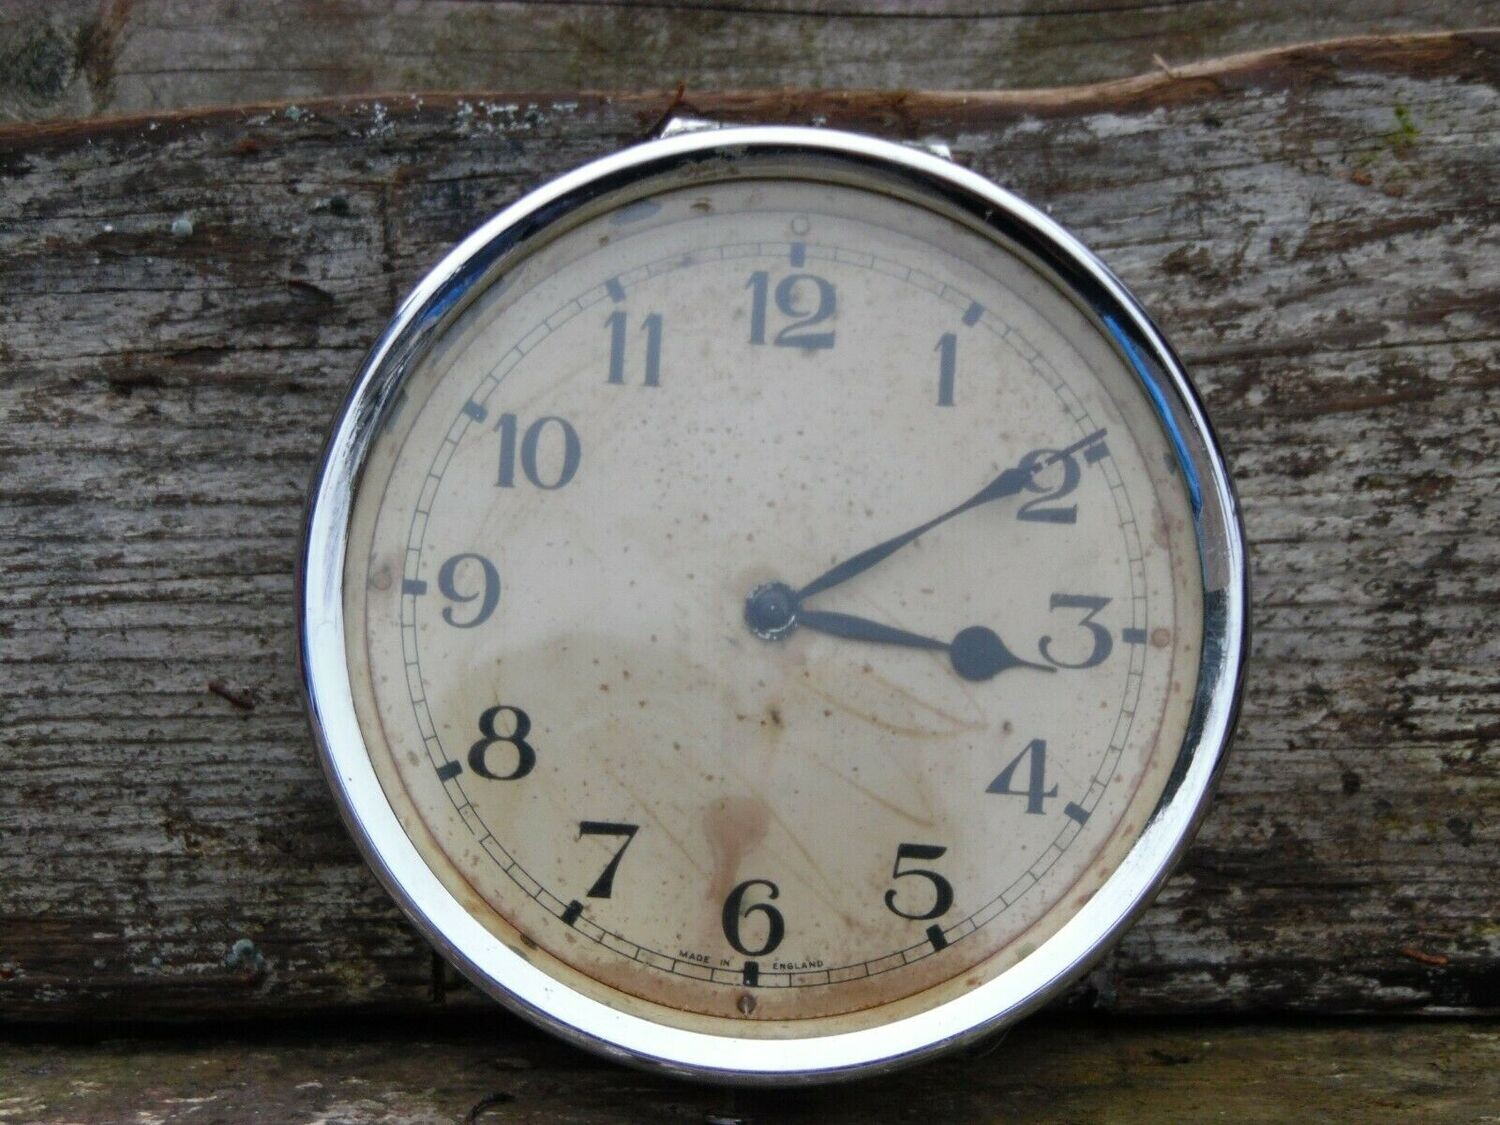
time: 3:09
